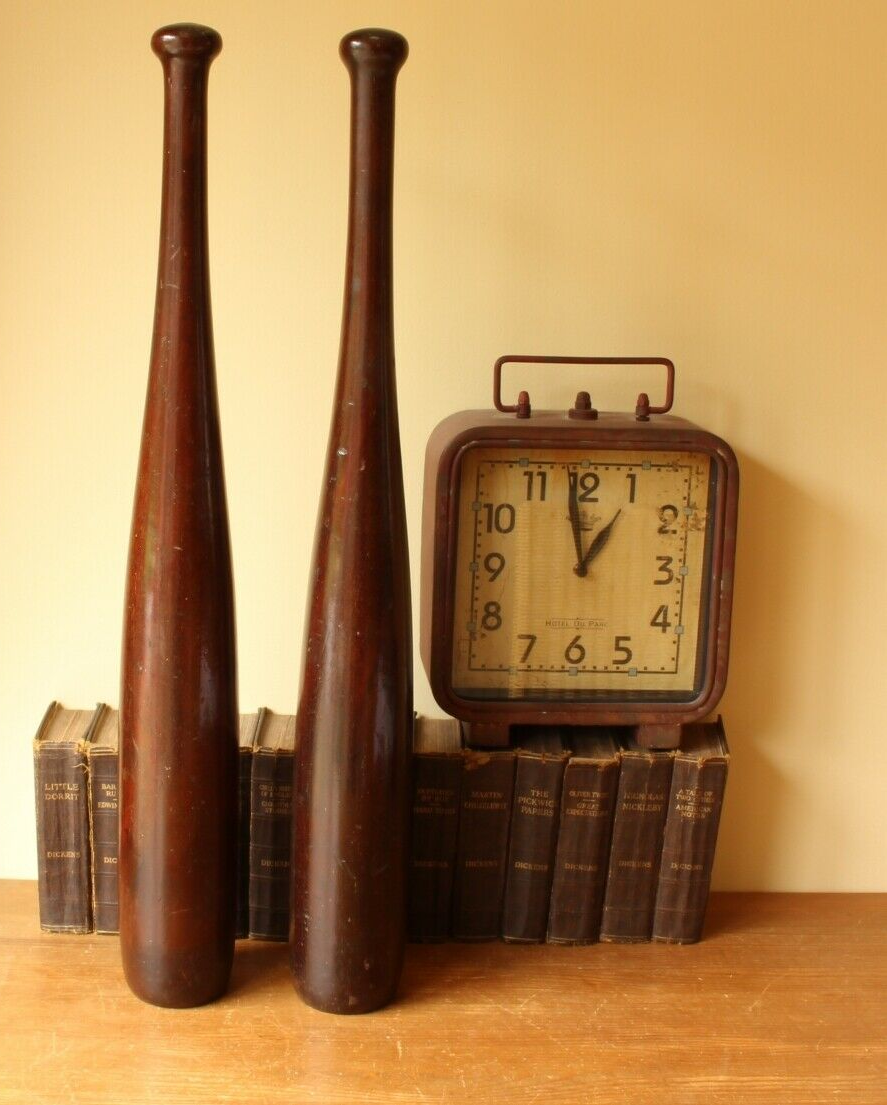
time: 12:58
